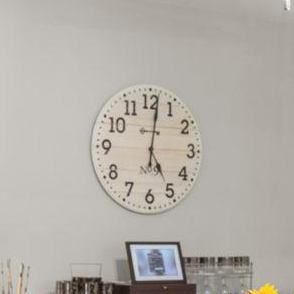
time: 5:01
